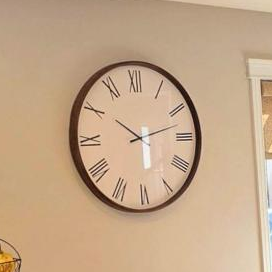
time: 5:50
